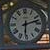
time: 6:12
